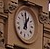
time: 12:59
